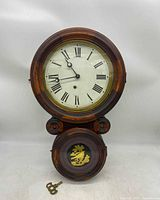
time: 10:42
